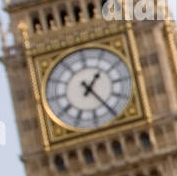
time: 1:24
